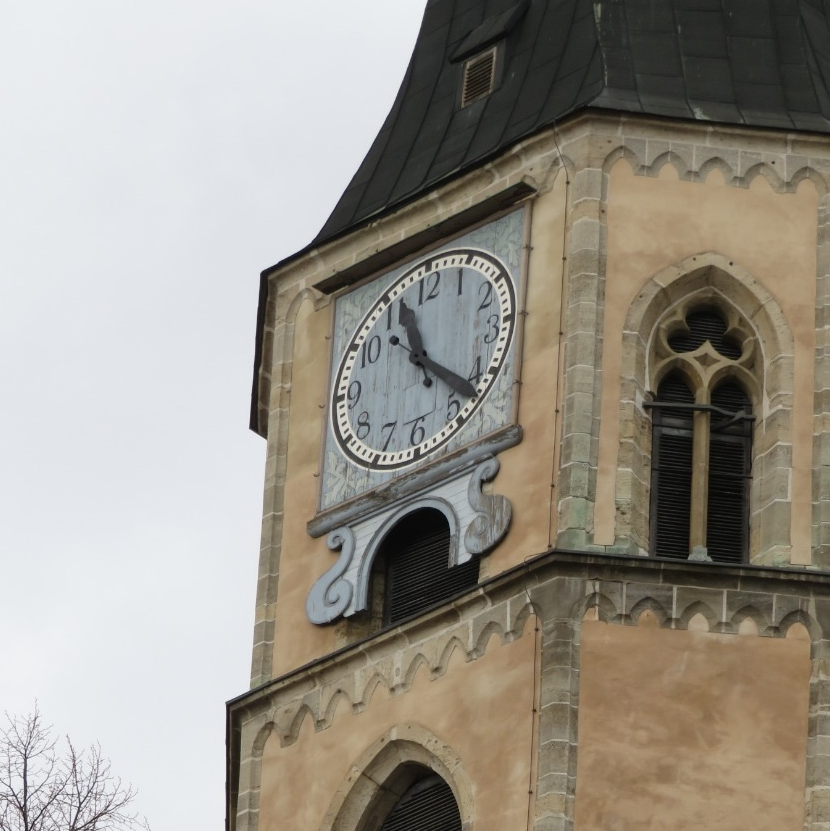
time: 11:22
